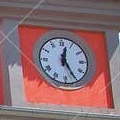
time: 12:25
